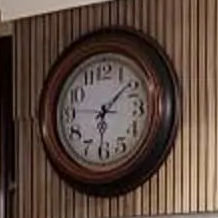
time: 6:08
